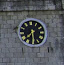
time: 7:30
